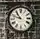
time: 10:48
